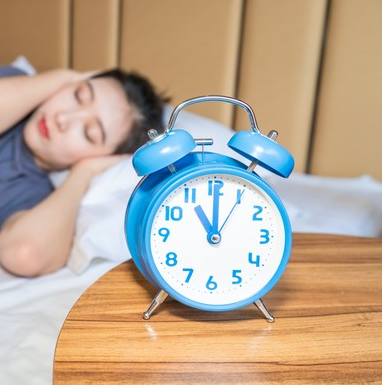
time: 11:00
